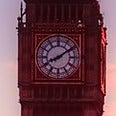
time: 8:09
